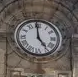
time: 4:59
